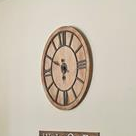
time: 5:49
